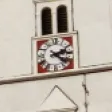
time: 2:21
